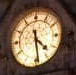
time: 4:28
